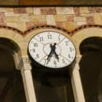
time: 5:34
